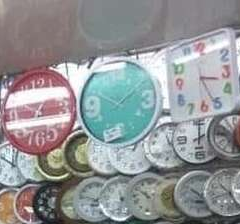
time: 1:49
